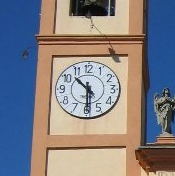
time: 10:30
